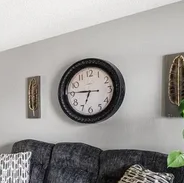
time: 6:45
